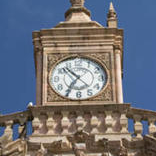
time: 10:35
